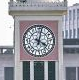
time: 4:02
